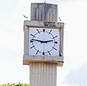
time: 2:46
